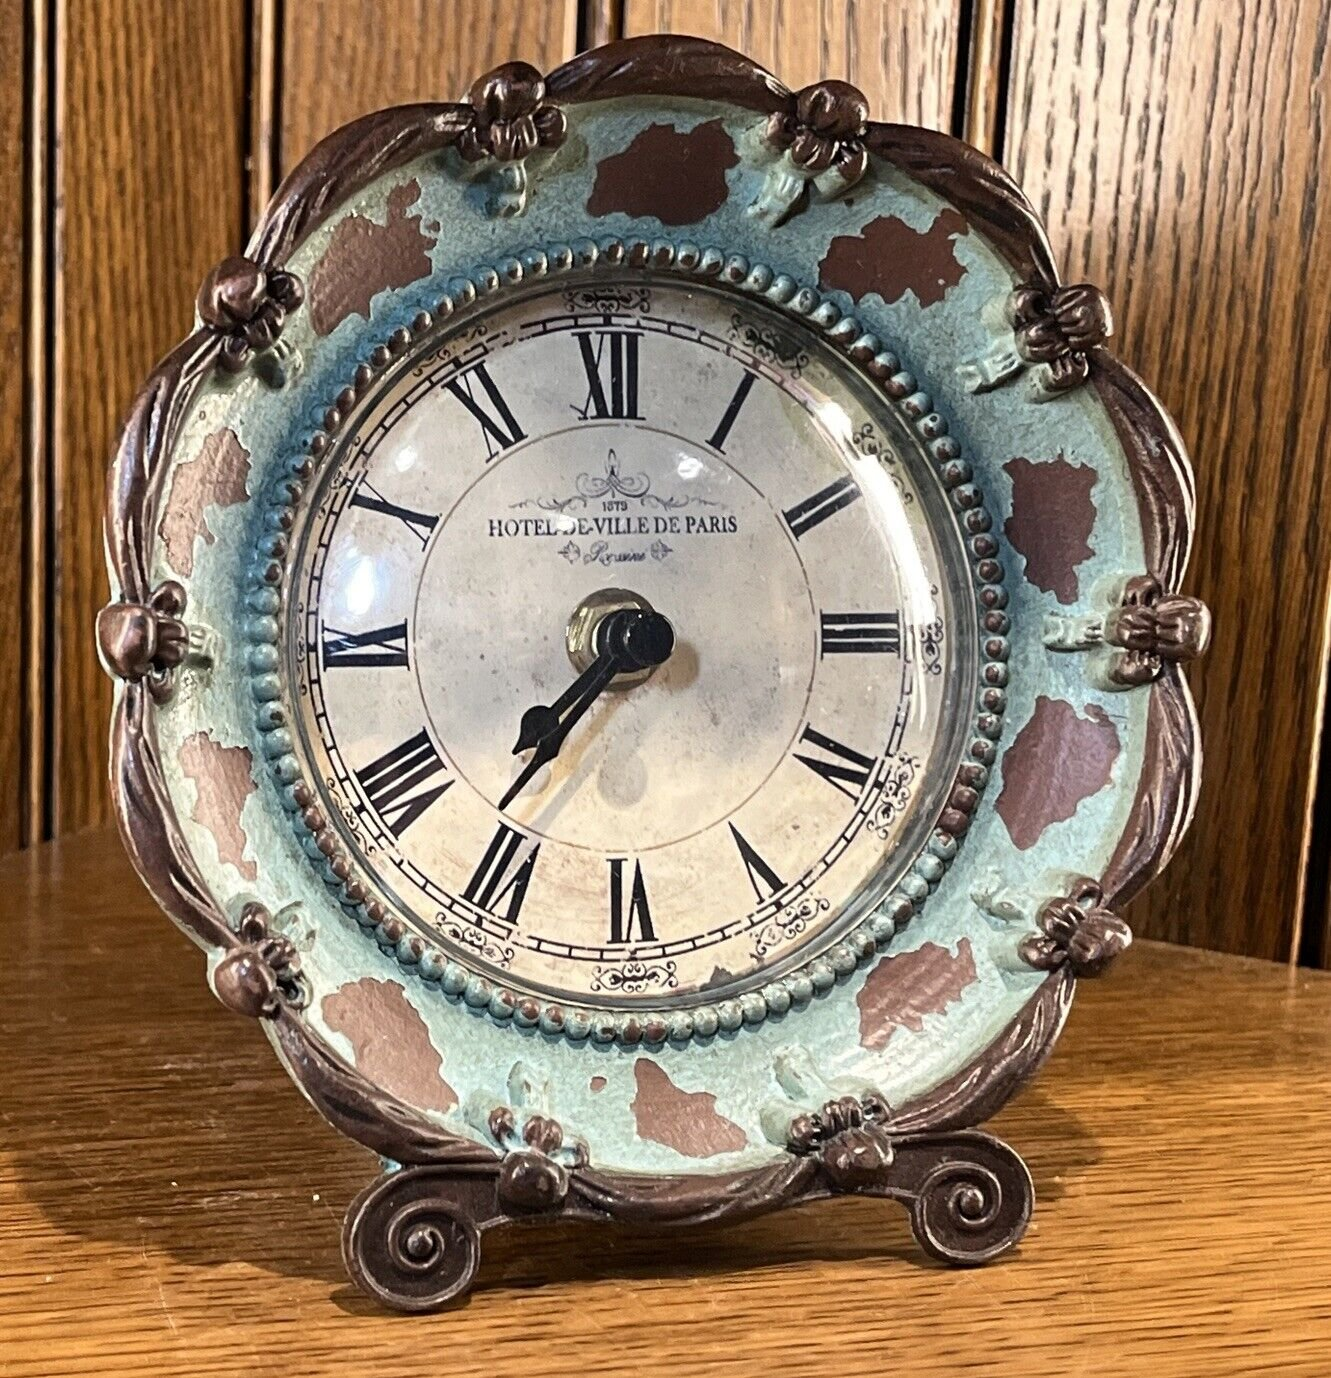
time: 7:36
